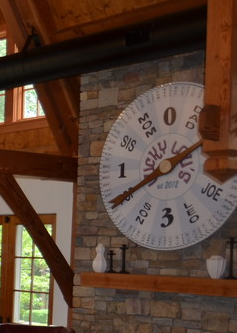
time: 2:40
